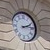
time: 2:13
